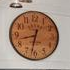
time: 8:32
